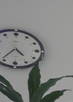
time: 4:36
